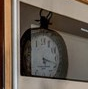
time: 5:18
